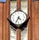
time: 4:34
